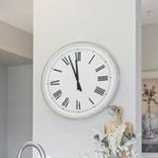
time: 11:56
